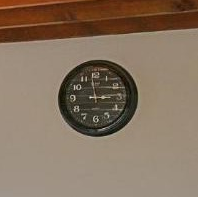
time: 2:58
